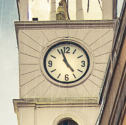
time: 4:56
